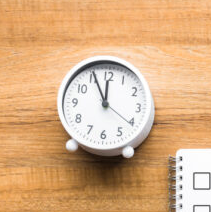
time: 11:55
